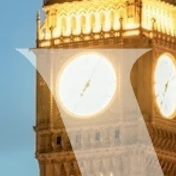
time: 7:04
